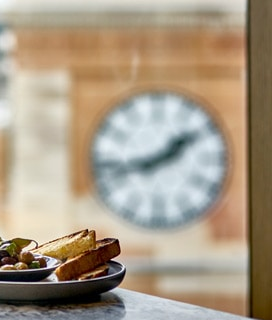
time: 1:42
